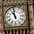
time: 10:58
